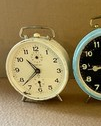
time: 10:37
